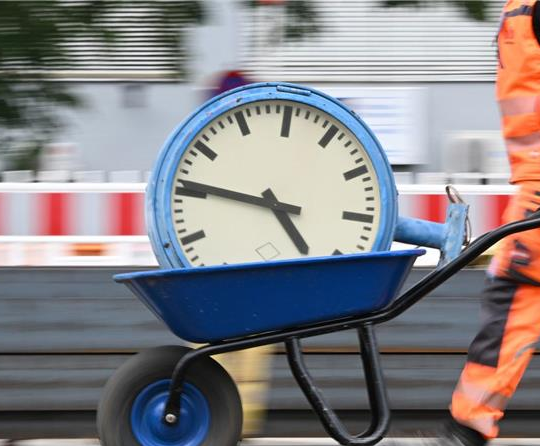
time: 4:46
